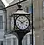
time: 1:51
